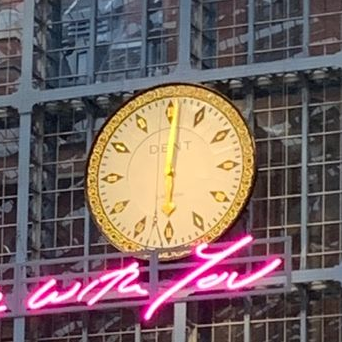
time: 6:00
